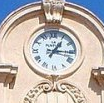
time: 1:16
